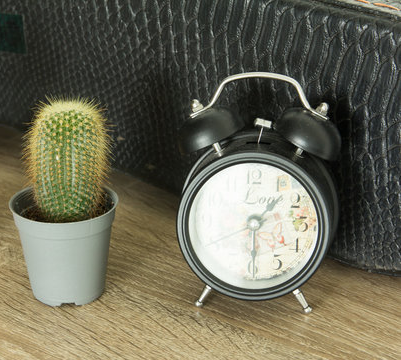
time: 1:29
